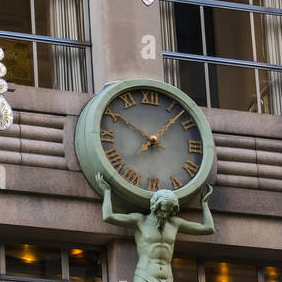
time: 10:07
